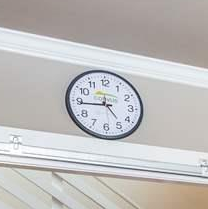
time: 4:44
